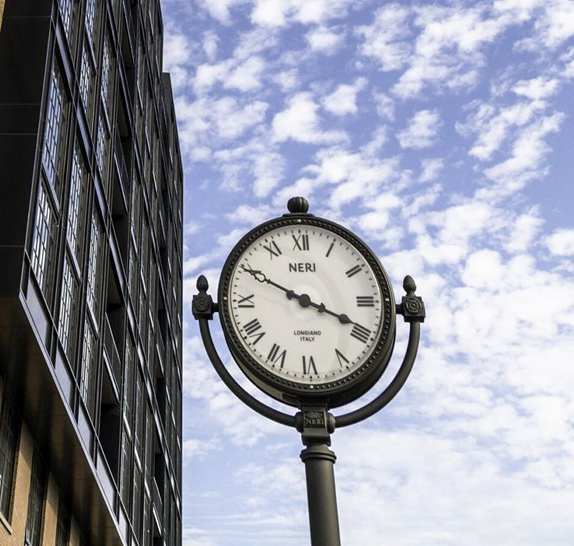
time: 3:49
